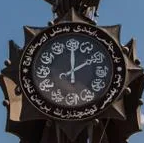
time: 2:00
